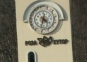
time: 4:31
